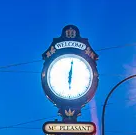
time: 6:01
